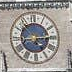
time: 5:14
